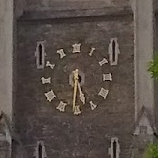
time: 5:31
